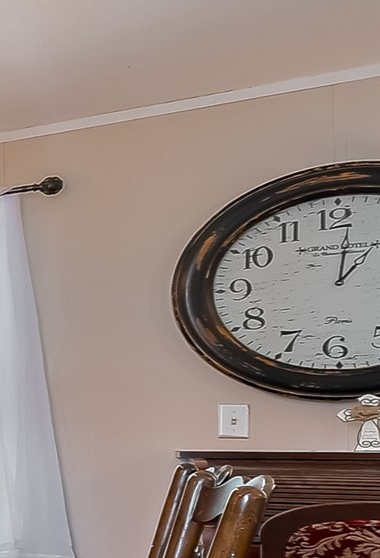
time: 1:01
